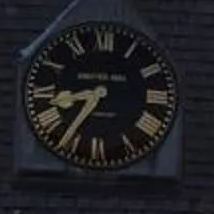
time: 8:35
